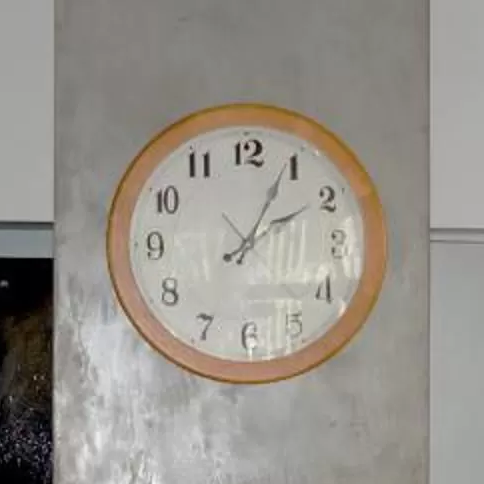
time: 2:04
